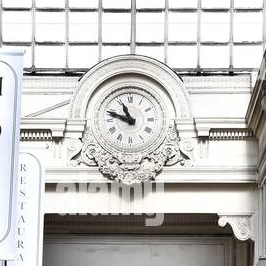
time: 10:48
